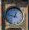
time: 12:47
